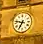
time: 6:47
